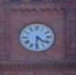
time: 4:31
